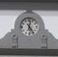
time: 12:24
